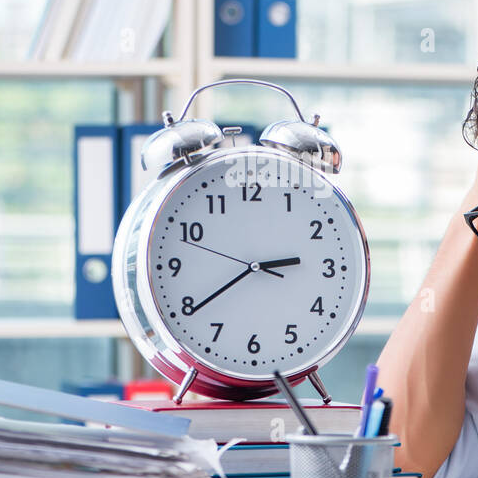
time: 2:39
